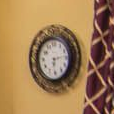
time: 6:13
